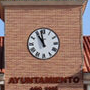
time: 10:58
